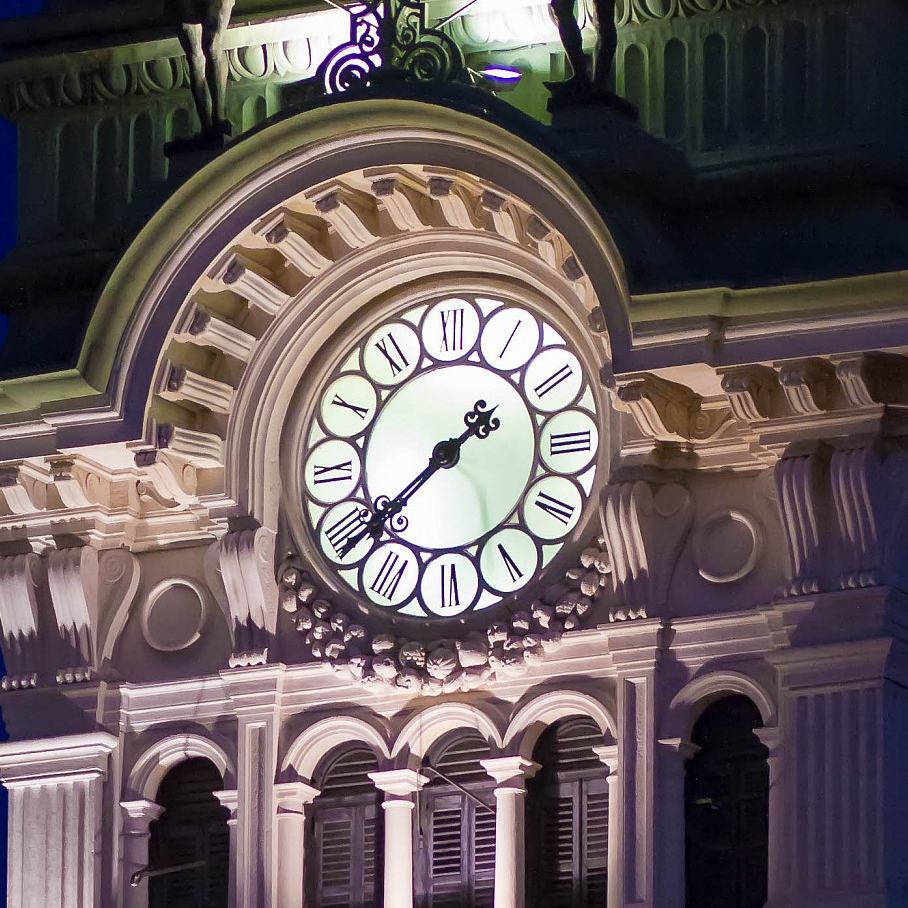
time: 1:38
